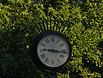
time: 9:16
